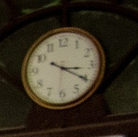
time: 3:20
